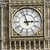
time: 2:57
